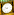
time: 9:42
